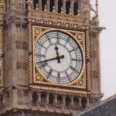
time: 11:41
